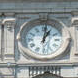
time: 1:01
